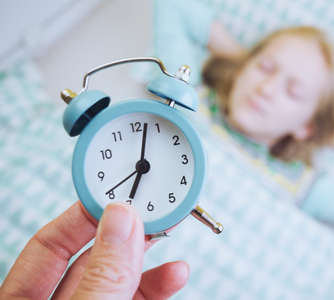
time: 7:02
